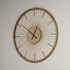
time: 12:50
